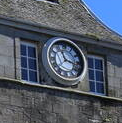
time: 11:17
